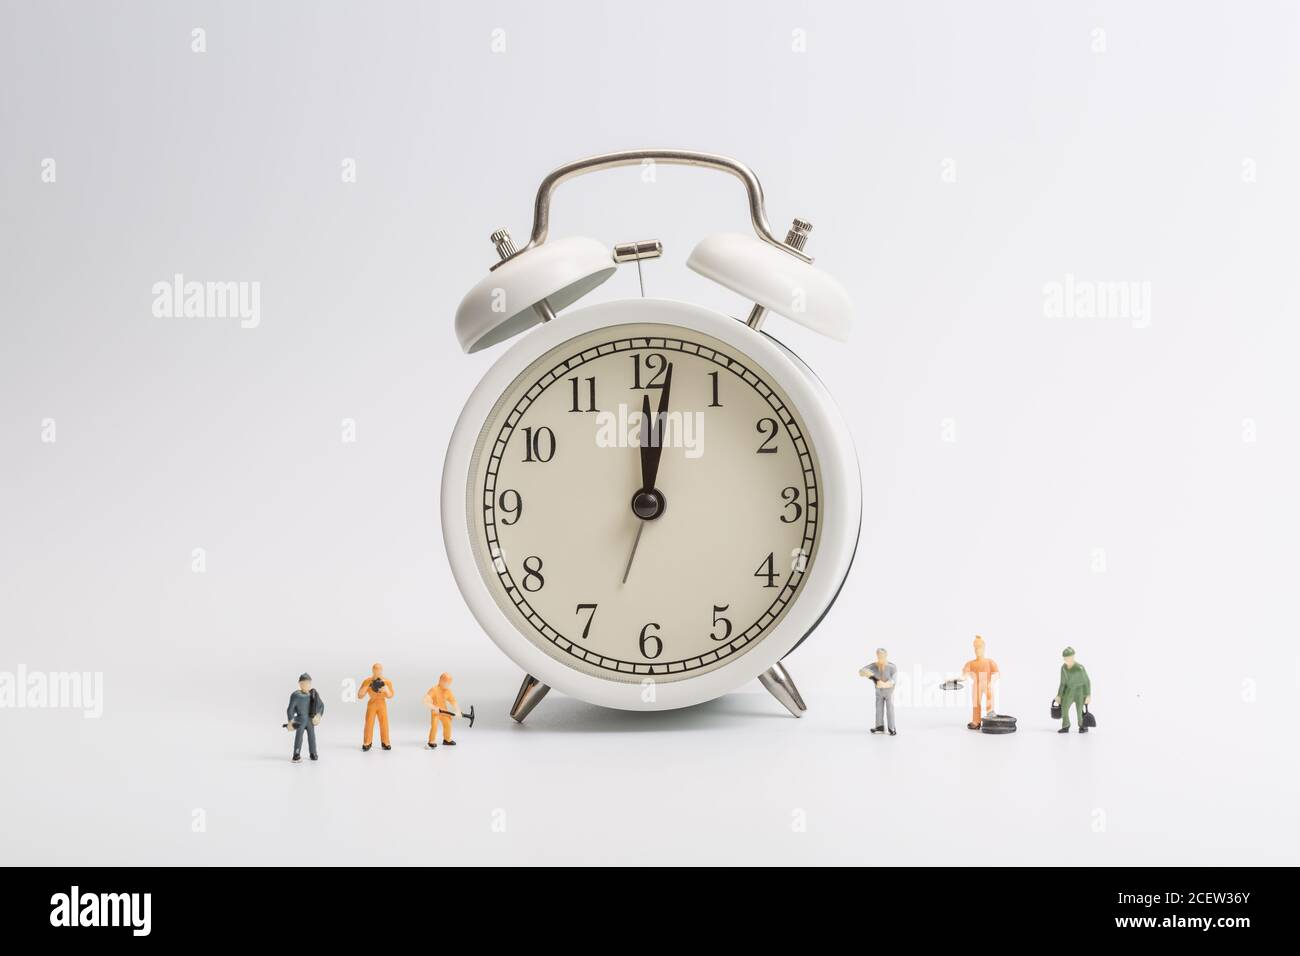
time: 12:01
